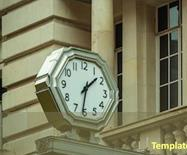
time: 1:31
